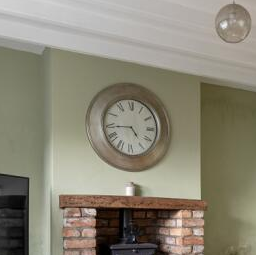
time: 4:44
